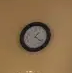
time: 1:21
